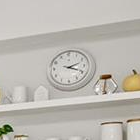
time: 2:18
